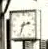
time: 2:33
